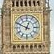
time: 12:49
